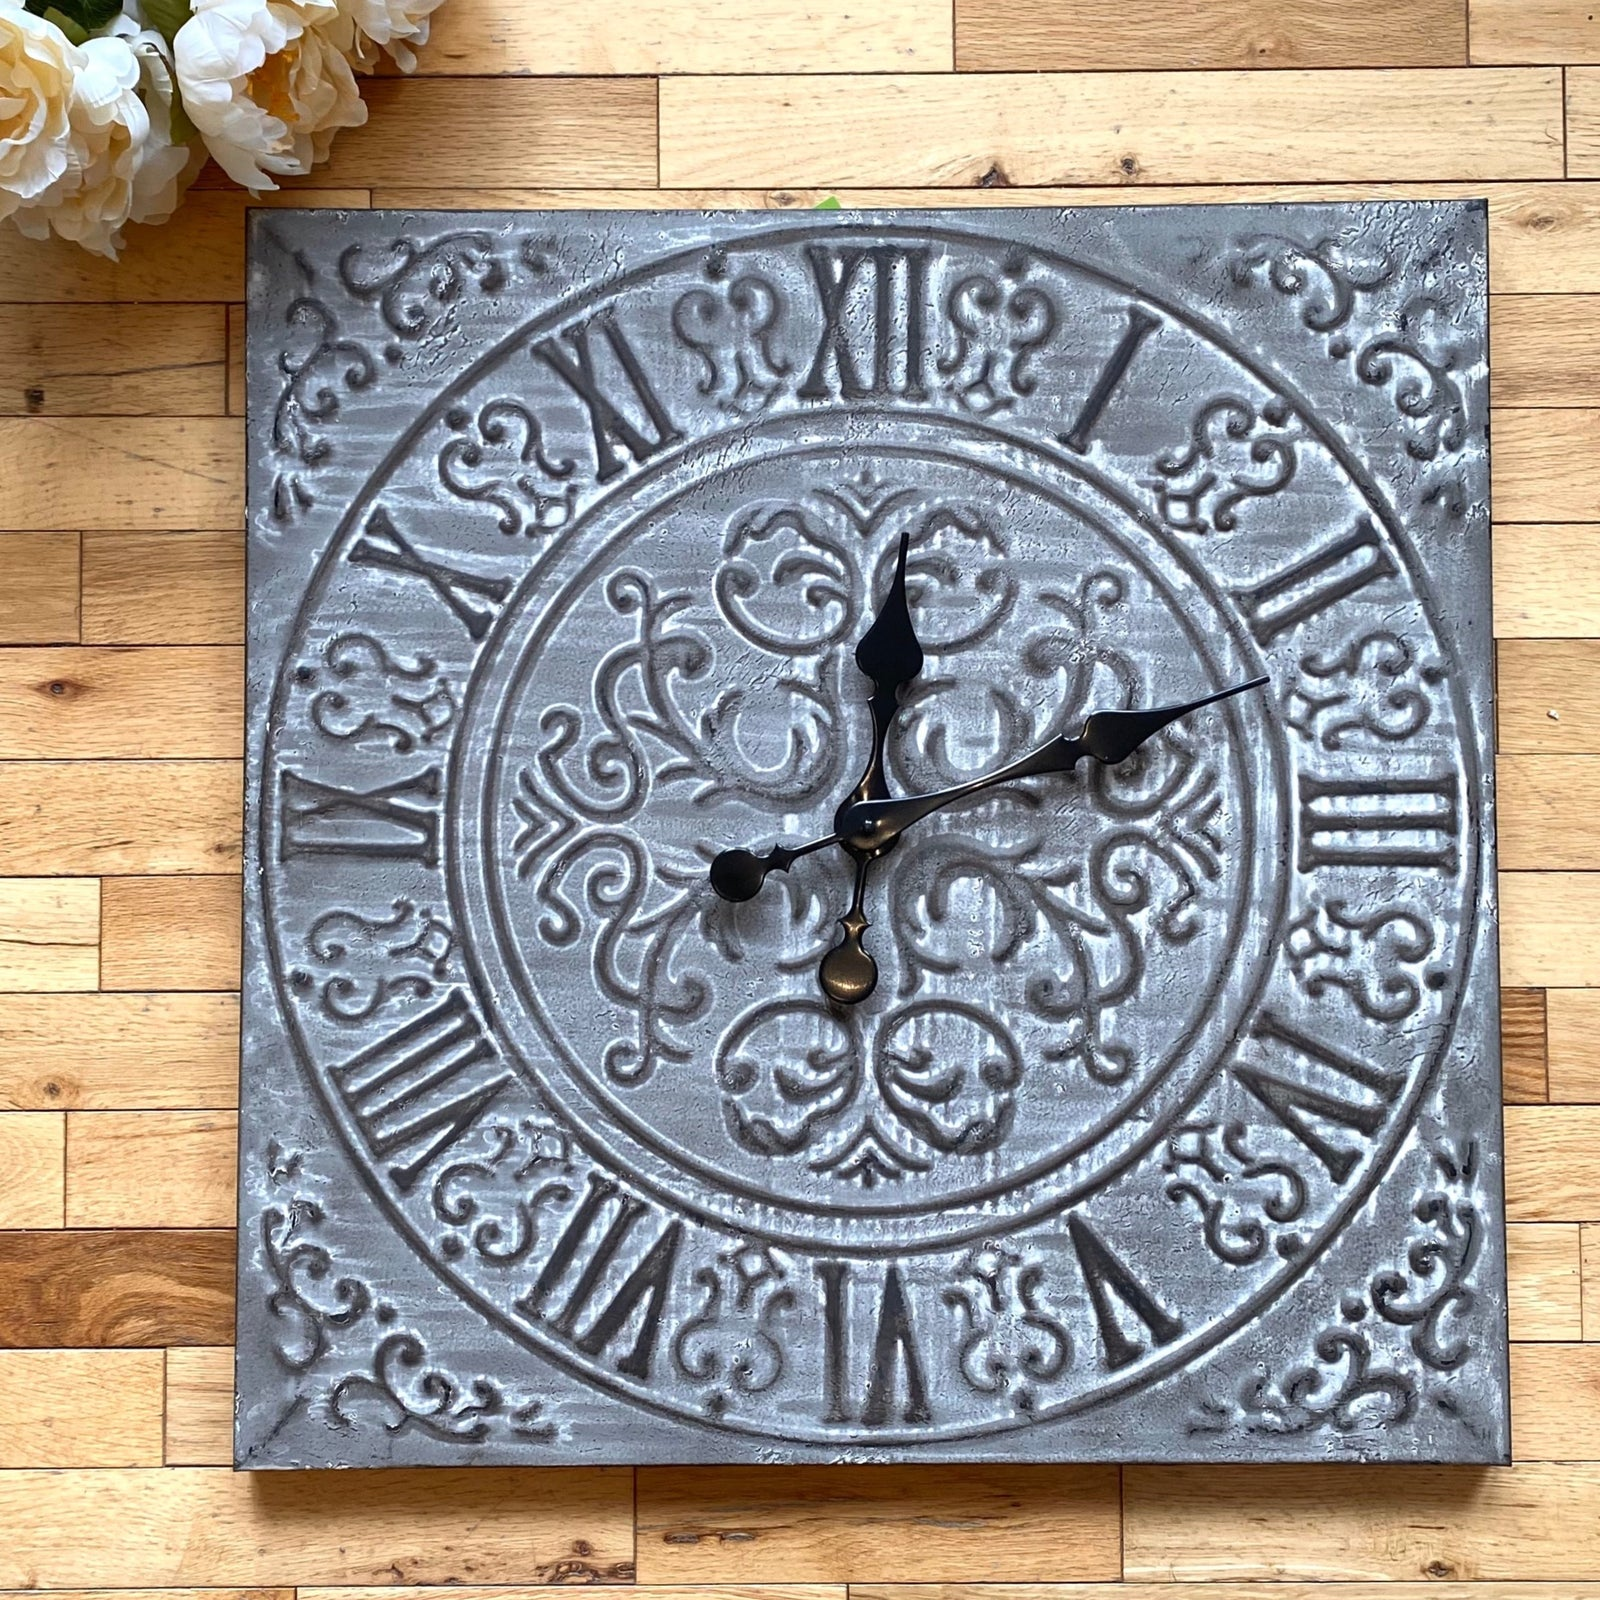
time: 12:11
